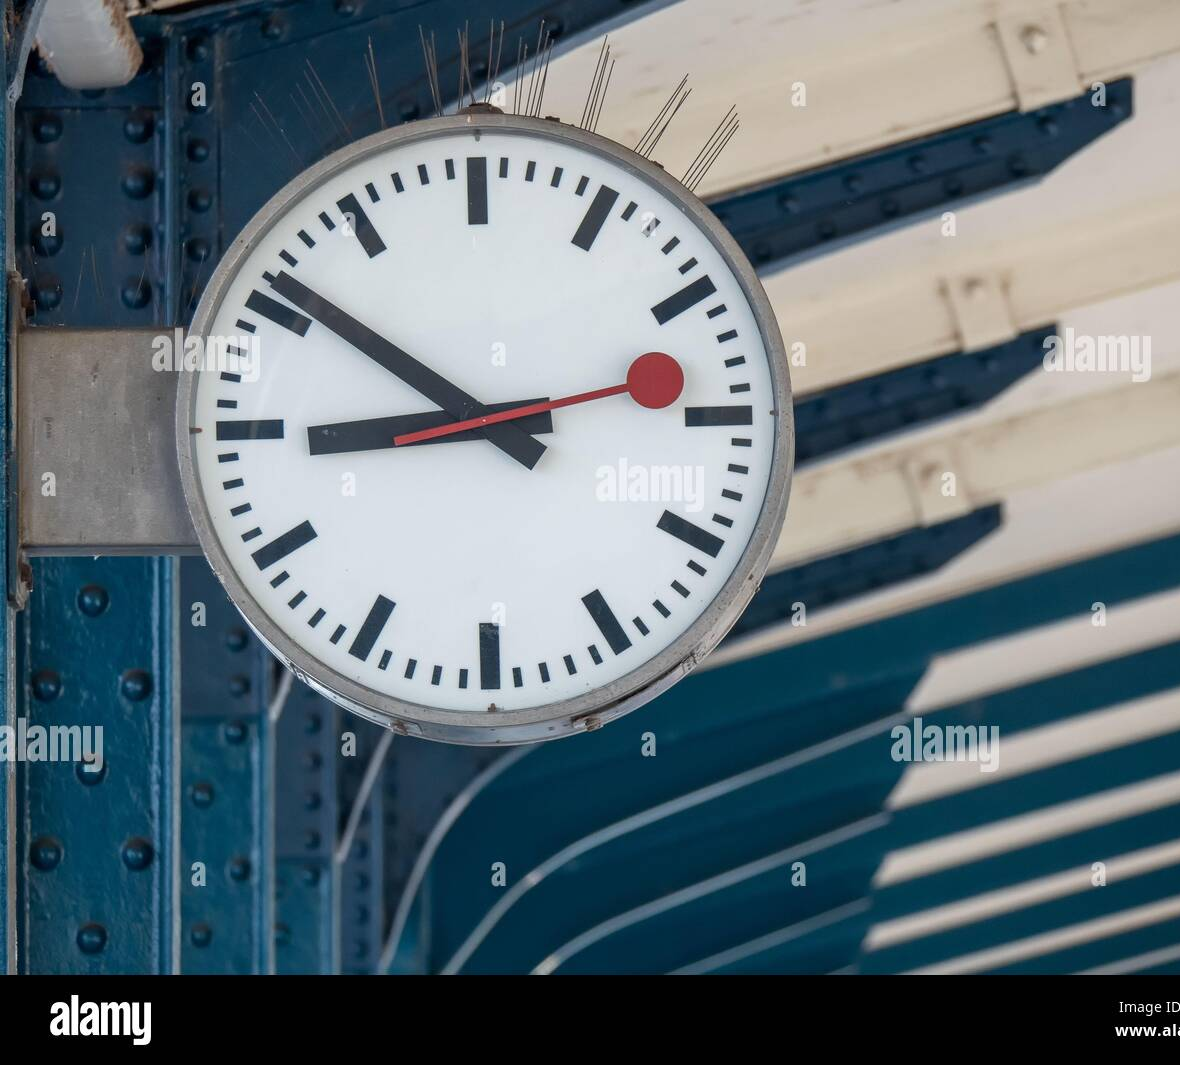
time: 8:51
